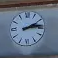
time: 2:13
